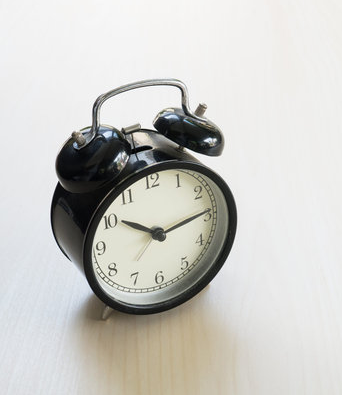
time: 10:14
